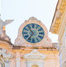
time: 10:35
